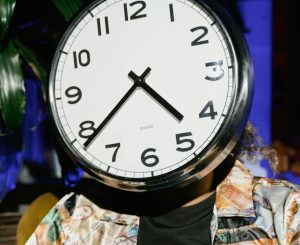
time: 4:38
